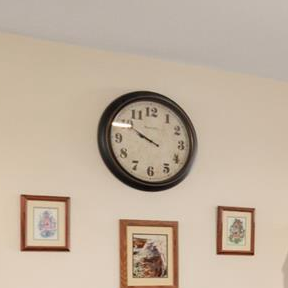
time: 9:50
